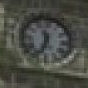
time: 11:33
